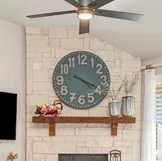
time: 4:19
